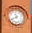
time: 11:40
